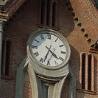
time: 4:33
